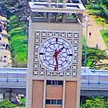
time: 1:28
